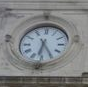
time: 6:24
